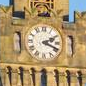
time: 2:18
